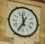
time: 11:34
